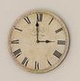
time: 2:58
